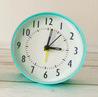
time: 3:01
